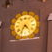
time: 4:35
